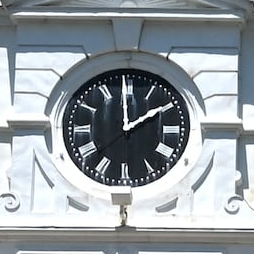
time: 1:59
